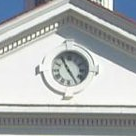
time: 4:55
